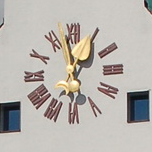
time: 12:58
